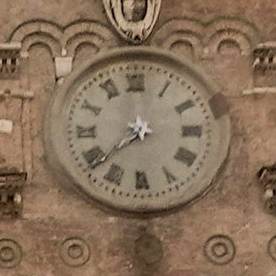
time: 7:38
